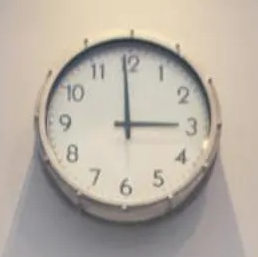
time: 2:59
